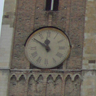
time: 11:50
